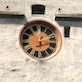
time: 12:13
